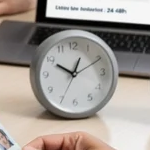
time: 12:49
